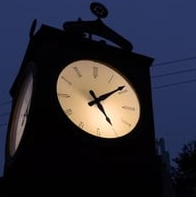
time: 5:08
